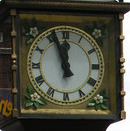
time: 11:56
